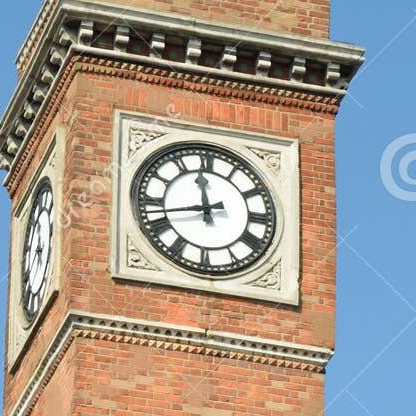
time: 11:42
